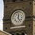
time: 12:23
